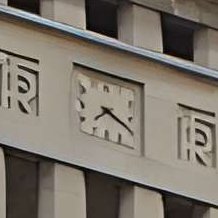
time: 7:19
